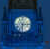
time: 6:15
